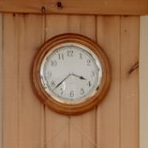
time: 3:38
